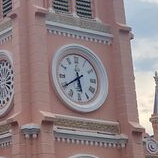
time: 5:39
